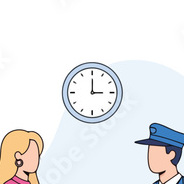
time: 3:00
